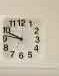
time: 9:46
